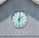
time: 2:01
